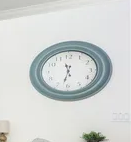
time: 11:32
